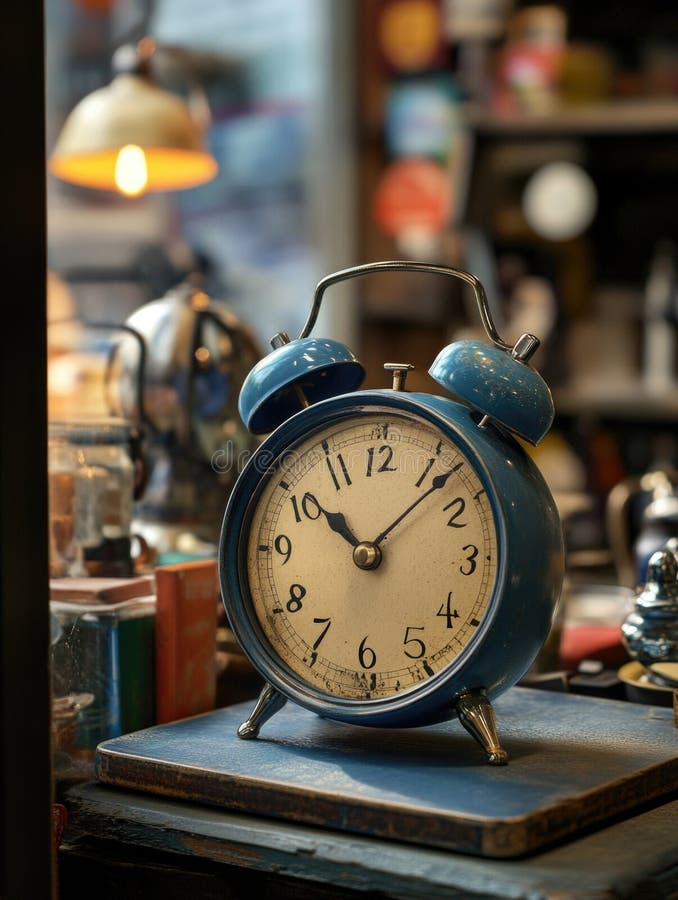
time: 10:07
